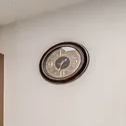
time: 6:32
